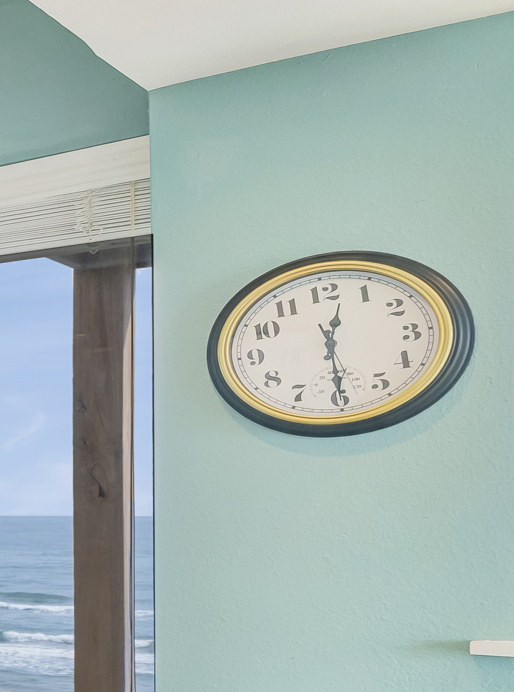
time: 12:29
